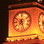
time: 7:27
